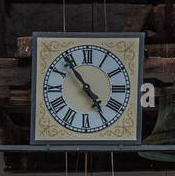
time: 4:53
